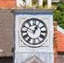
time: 12:49
